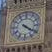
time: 4:20
